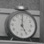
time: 5:00
